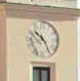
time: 10:24
